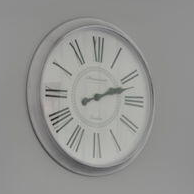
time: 2:12
